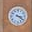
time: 3:21
